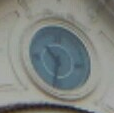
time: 10:32
